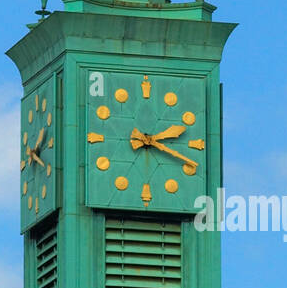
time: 2:18
